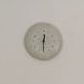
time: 12:30
